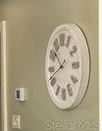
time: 10:41
